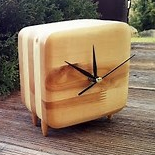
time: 11:50
